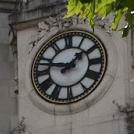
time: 1:47
